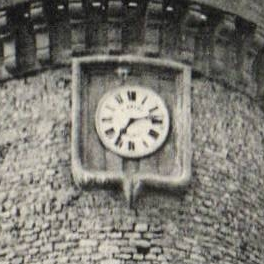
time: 7:12
